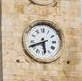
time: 5:41
